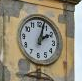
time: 2:02
